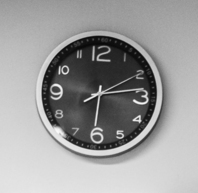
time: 6:13
